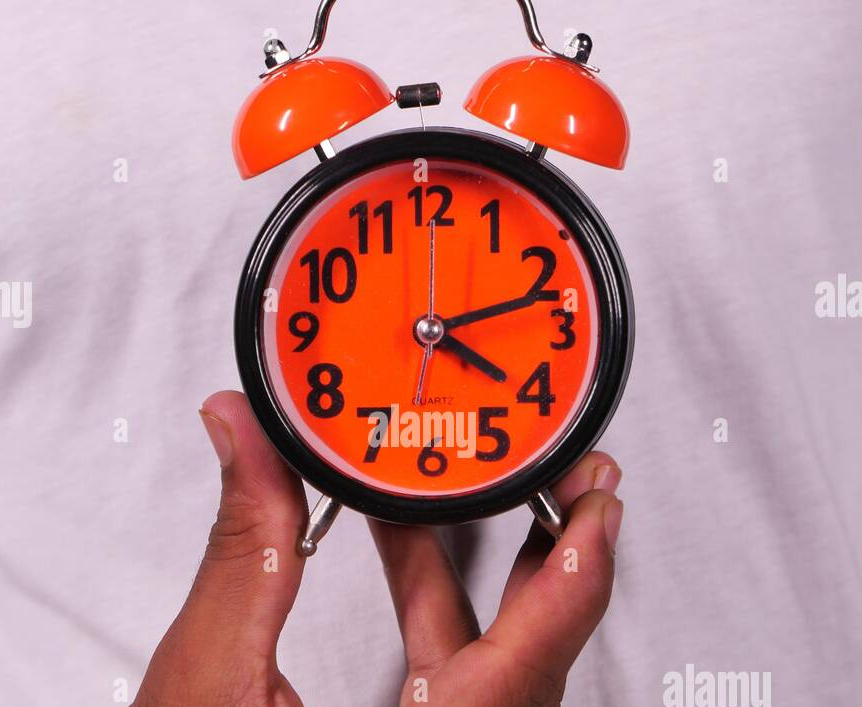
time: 4:12
